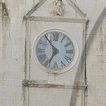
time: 6:54
